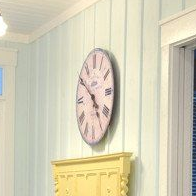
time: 4:50
